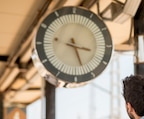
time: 3:27
